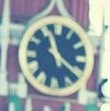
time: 11:21
